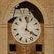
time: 4:02
